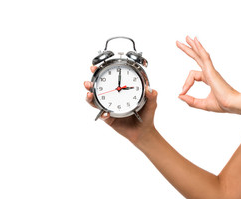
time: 3:00
